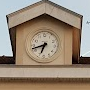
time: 6:42
